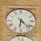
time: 6:22
